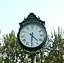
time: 4:30
